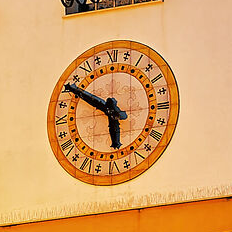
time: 5:49
